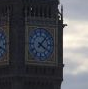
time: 4:07
